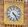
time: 4:23
